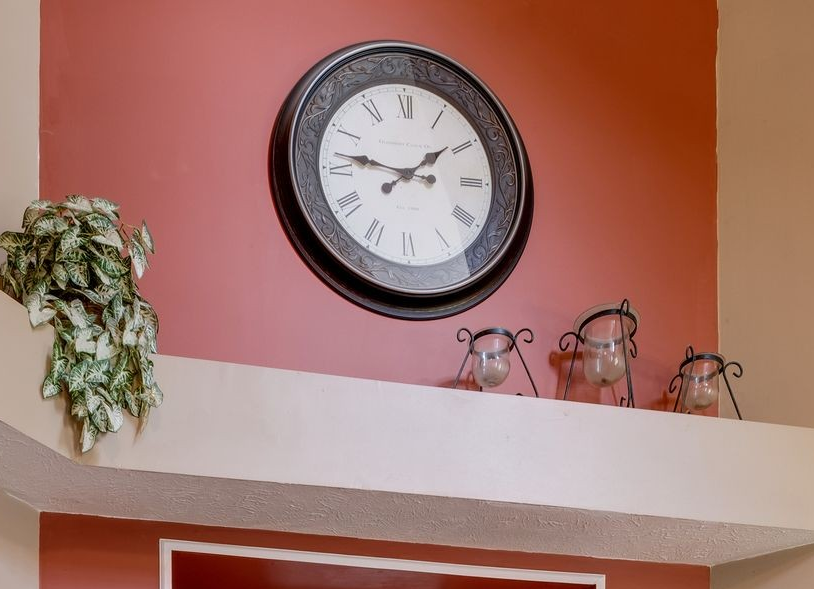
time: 1:46
